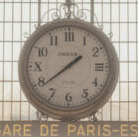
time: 1:38
